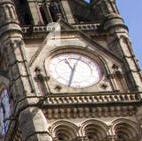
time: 11:33
